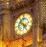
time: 4:52
